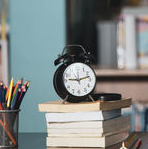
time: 9:12
